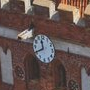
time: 11:40
